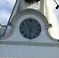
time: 5:55
